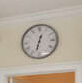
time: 12:32
